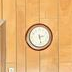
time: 2:28
